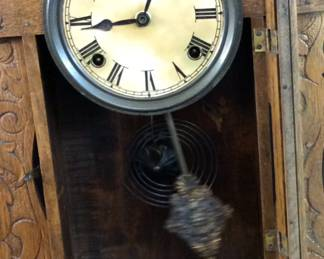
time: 12:43
